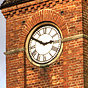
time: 2:50
